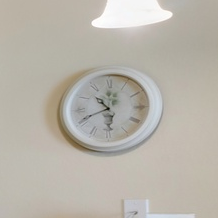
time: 10:41
